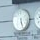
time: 5:26
